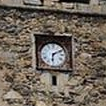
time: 6:10
